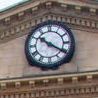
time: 10:20
